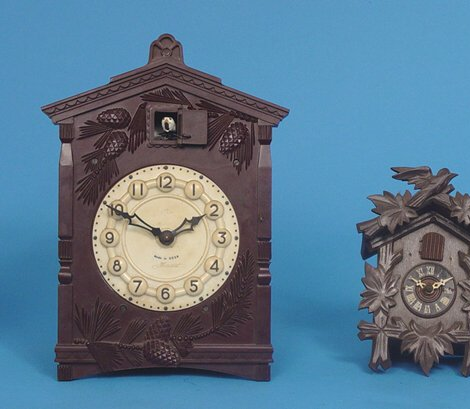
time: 1:49
